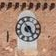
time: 7:24
